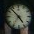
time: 4:52
